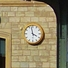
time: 3:58
